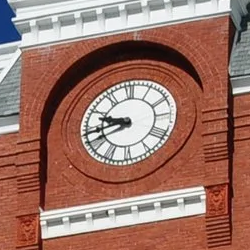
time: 9:42
